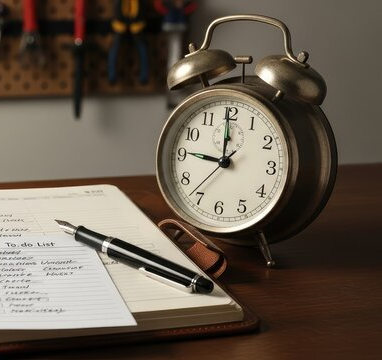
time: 8:59
